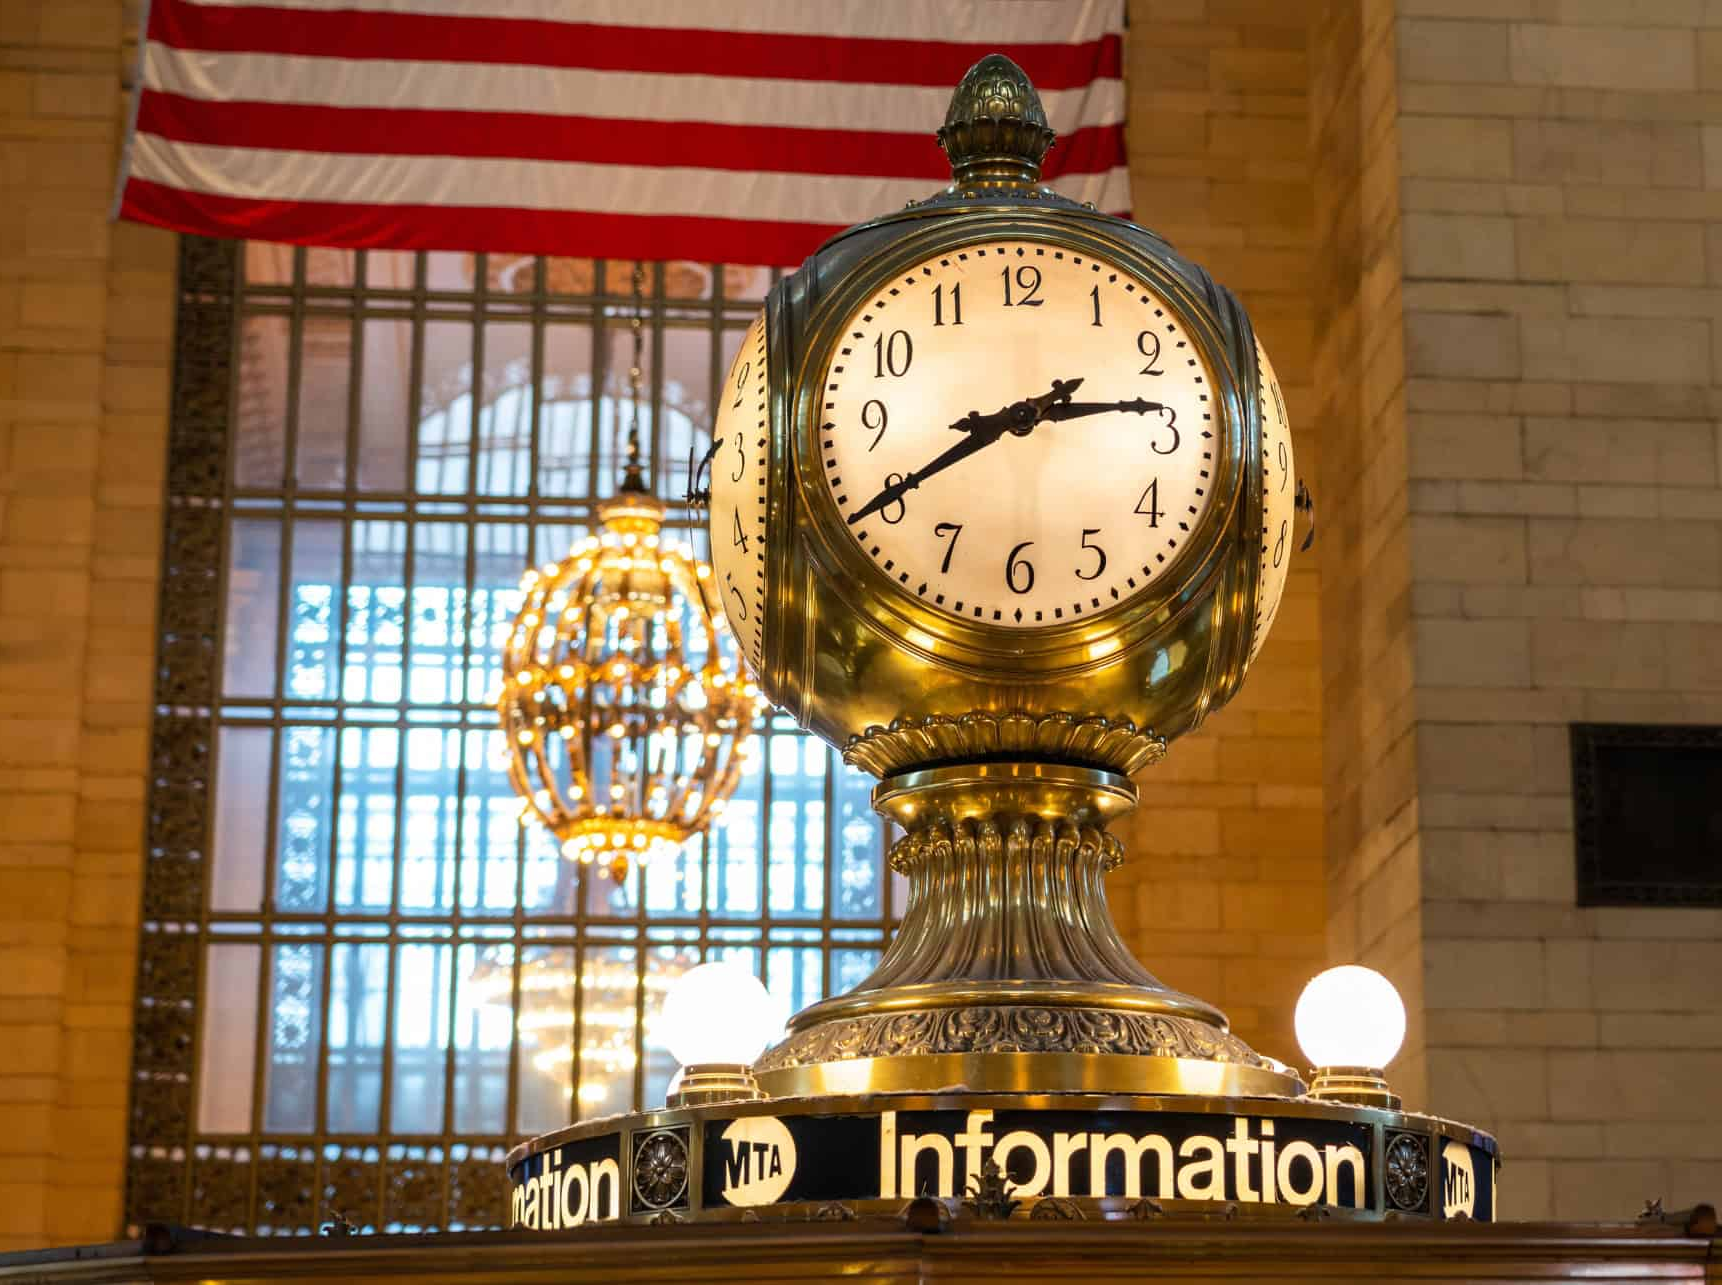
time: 2:40
